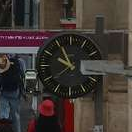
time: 9:55
